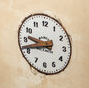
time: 9:42
